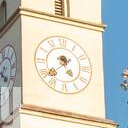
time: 4:38
